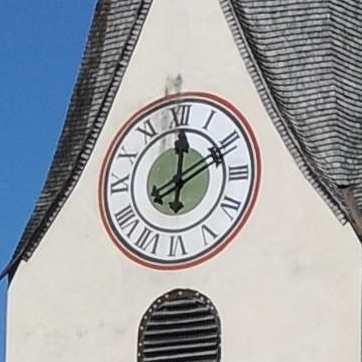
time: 12:10
